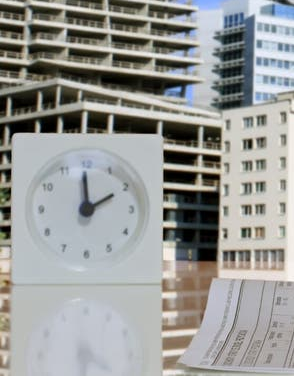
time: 1:59
